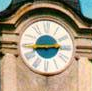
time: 2:44
